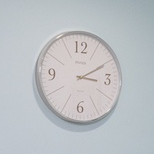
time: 3:10
